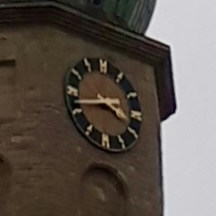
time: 3:42
